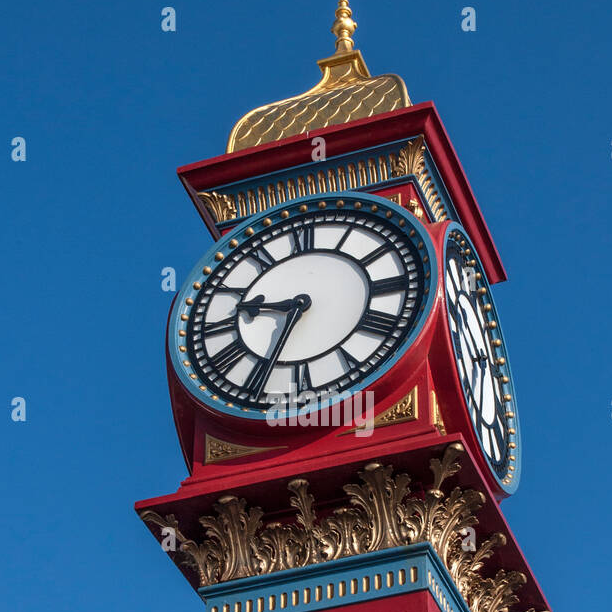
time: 9:34
